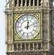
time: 12:11
